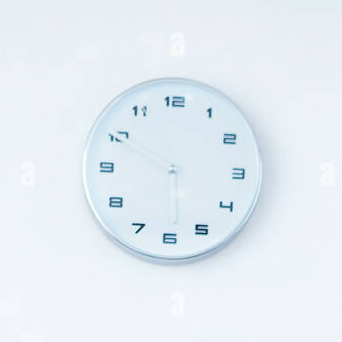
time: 5:49
